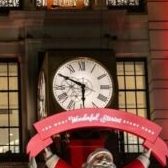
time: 5:49
